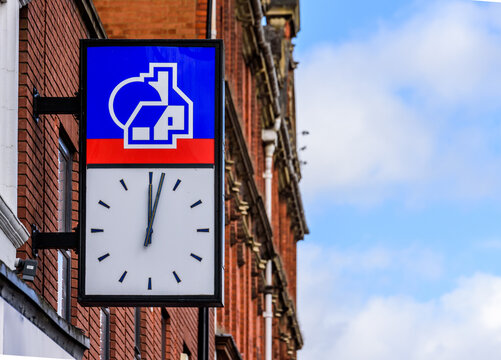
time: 12:02
